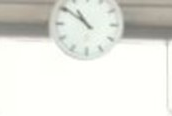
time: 10:51
